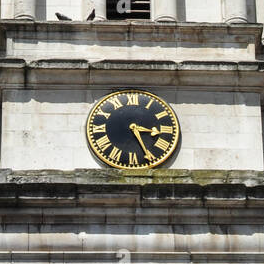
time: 3:25
